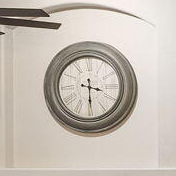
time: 3:29
